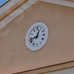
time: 12:42
